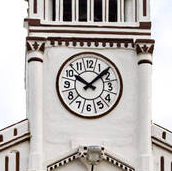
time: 10:08
